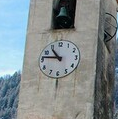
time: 10:46
